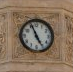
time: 4:56
